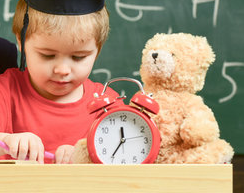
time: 11:35
